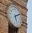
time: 6:10
